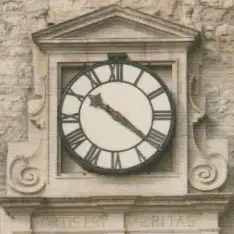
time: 10:21
